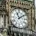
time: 11:09
